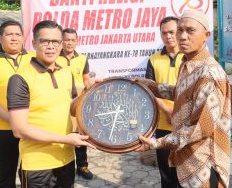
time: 8:31
